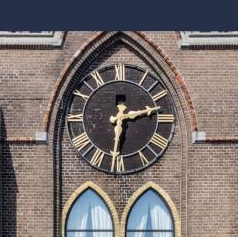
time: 2:31
